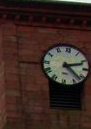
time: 2:21
